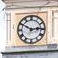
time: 2:50
